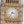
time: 3:35
